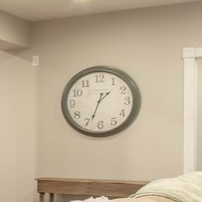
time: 1:33
